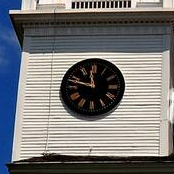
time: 11:47
